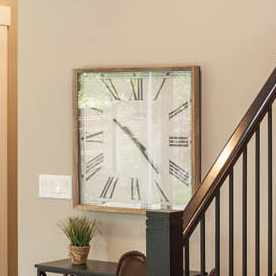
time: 10:23
